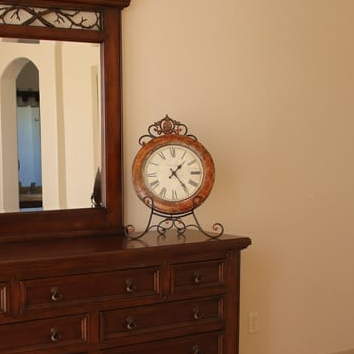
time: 1:23
